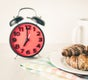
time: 7:00
